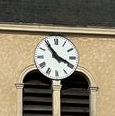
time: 3:54
